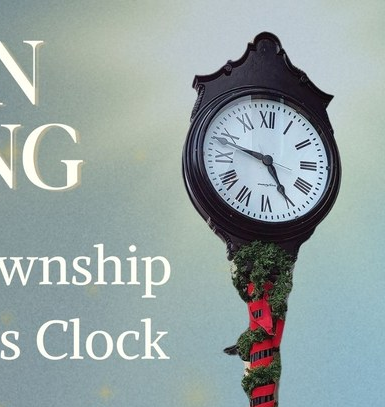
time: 4:48
